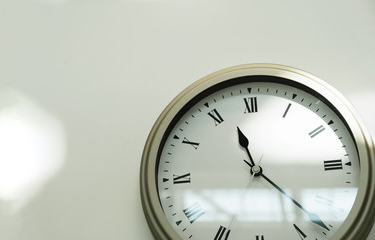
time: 11:21
